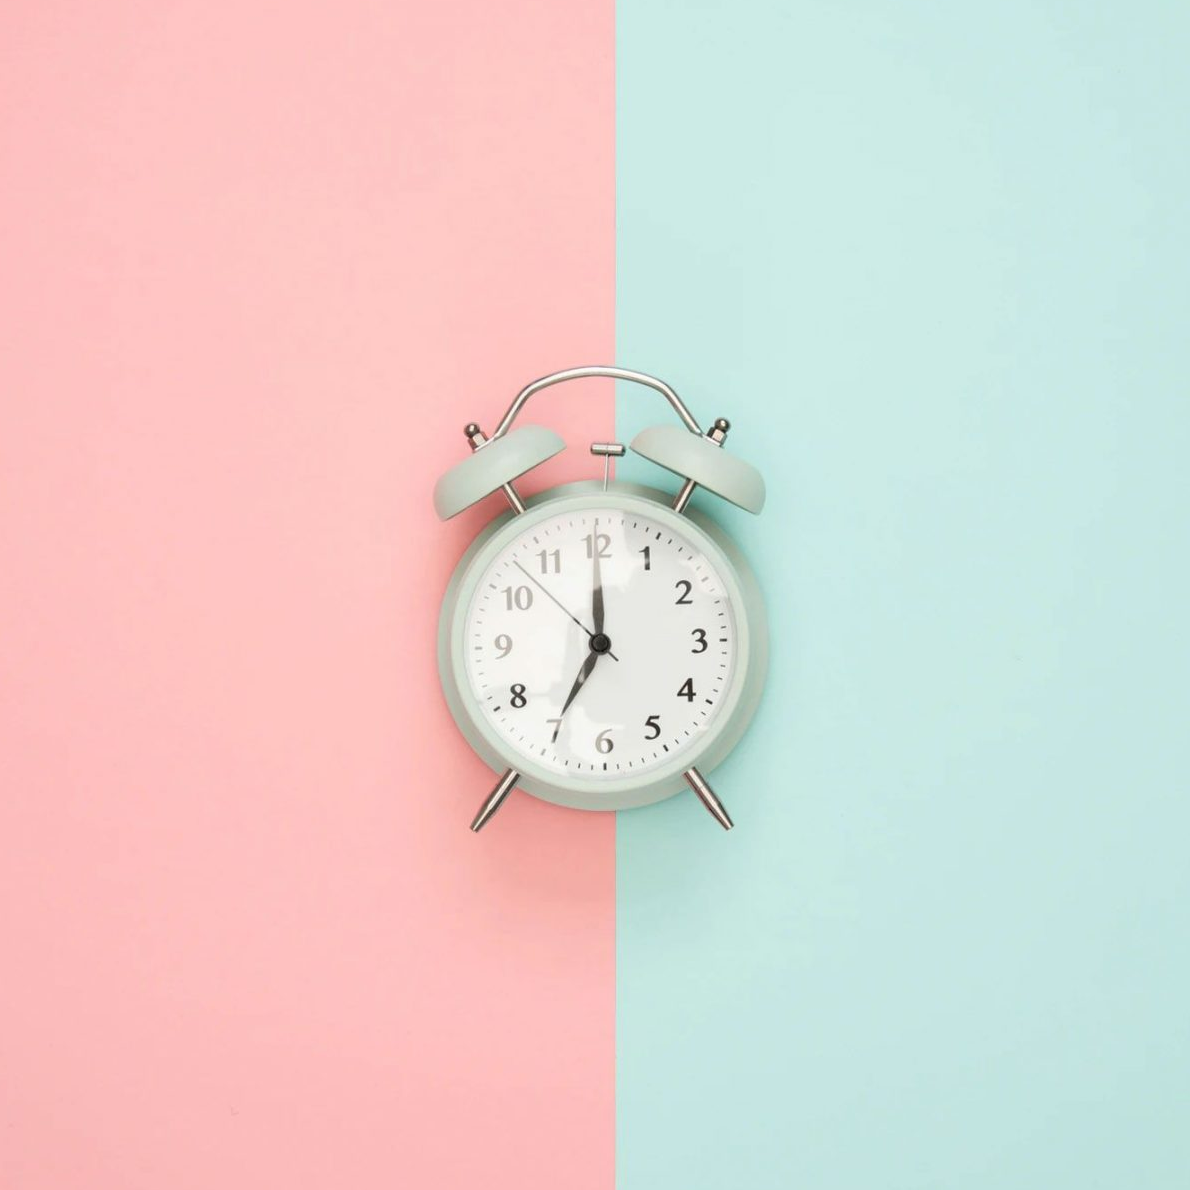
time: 7:00
